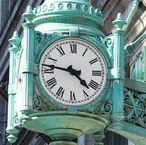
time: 4:46
